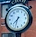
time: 7:32
